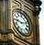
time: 9:12
